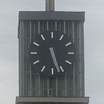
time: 5:26
